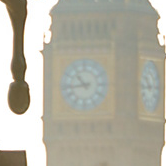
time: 10:43
